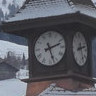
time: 2:26
